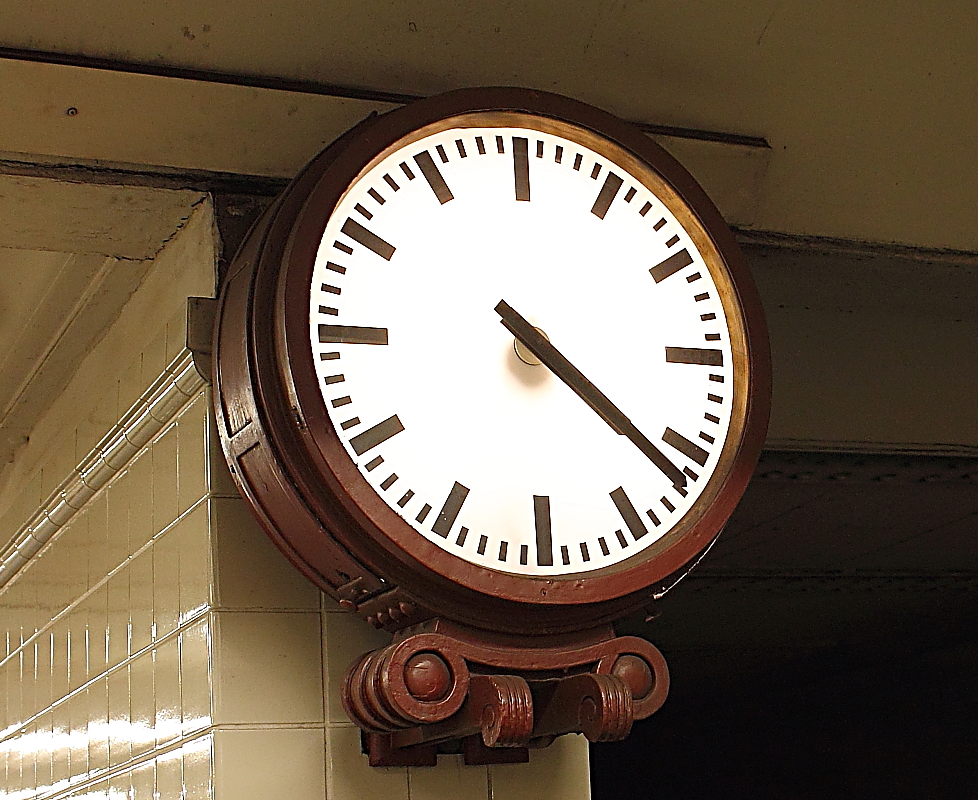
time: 4:21
